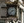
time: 7:37
